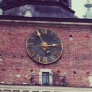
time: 2:56
